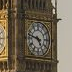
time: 4:47
